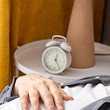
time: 12:24
